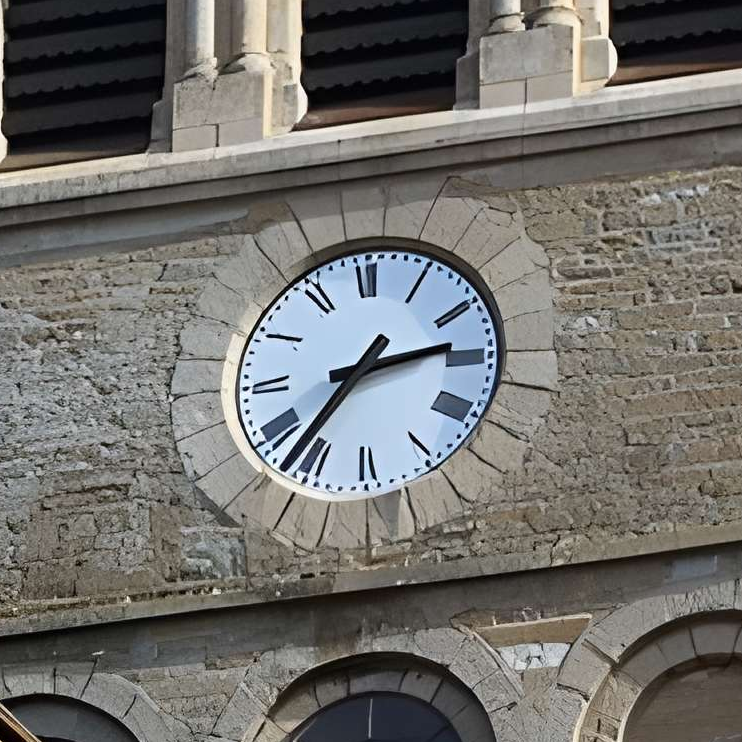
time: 2:36
